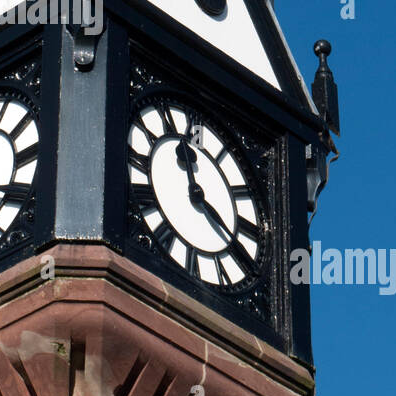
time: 11:19
